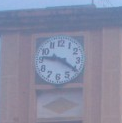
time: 9:20
